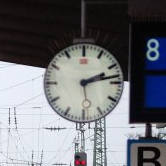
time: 2:13
